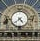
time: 4:38
